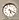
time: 5:18
